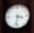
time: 3:32
